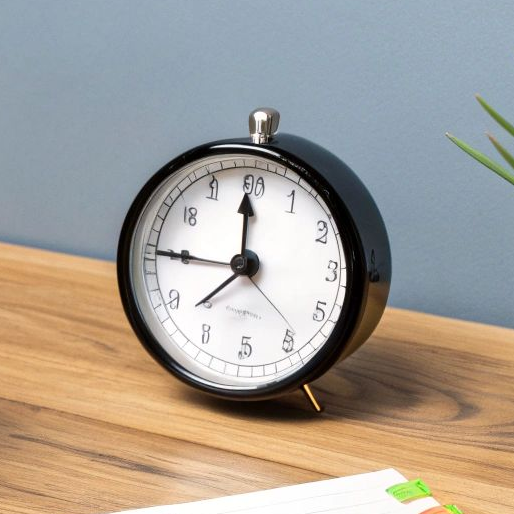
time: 11:45
